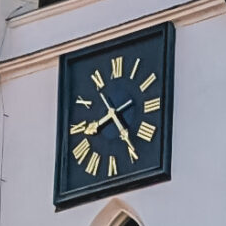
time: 4:42
